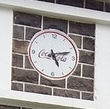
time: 5:11
